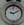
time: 9:10
